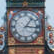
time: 1:16
